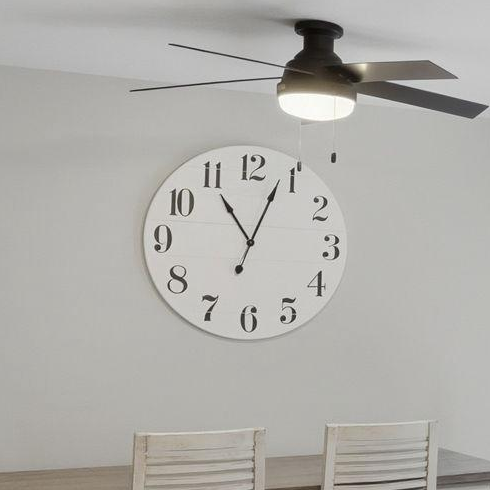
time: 11:03
